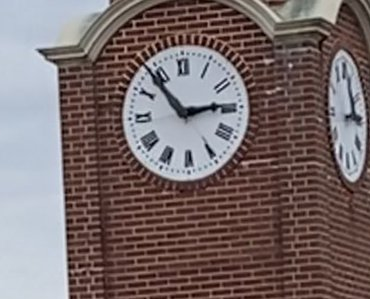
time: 2:53
